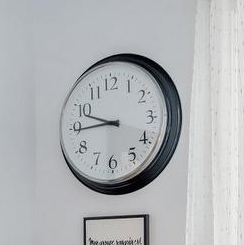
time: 9:44
